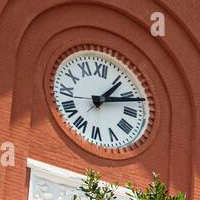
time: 1:11
